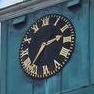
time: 2:36
